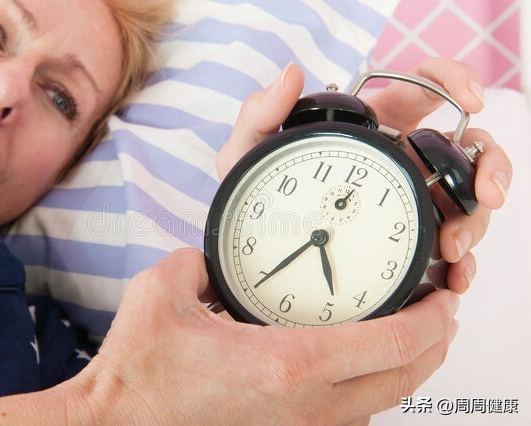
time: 5:39
